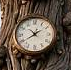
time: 10:40
